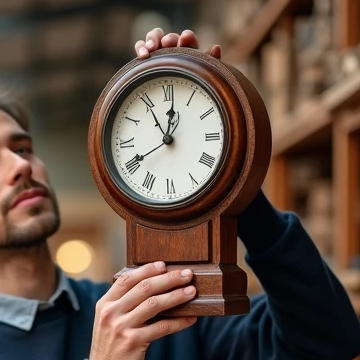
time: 11:01
